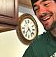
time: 7:23
